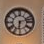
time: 6:12
